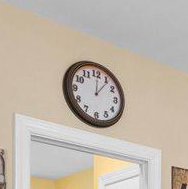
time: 12:06
